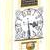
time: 3:29
